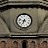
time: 6:47
